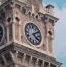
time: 4:09
